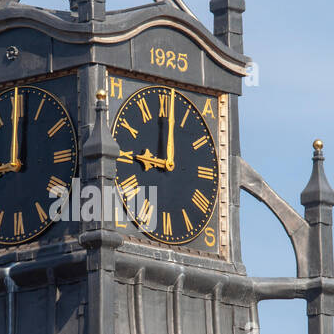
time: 9:01
